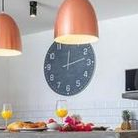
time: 12:12
